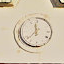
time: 11:37
